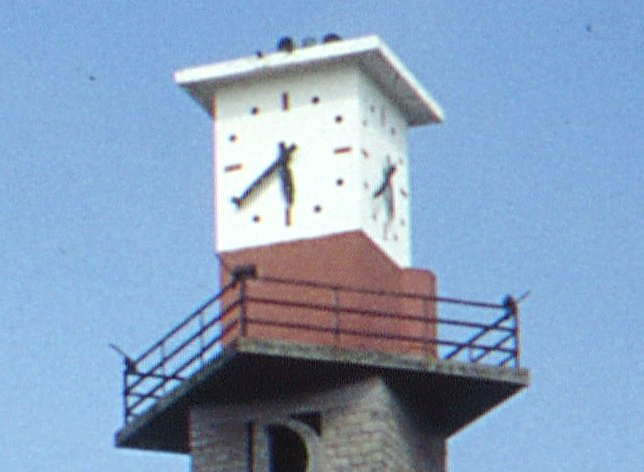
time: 5:38
